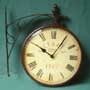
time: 10:05
